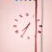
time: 7:34
